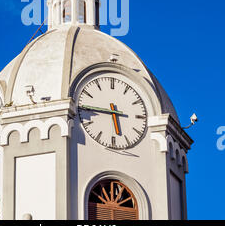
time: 5:44
